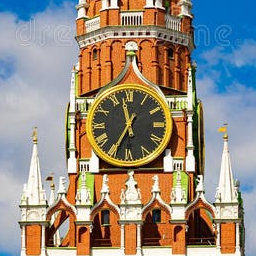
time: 11:34
